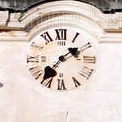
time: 1:36
